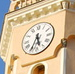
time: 5:34
